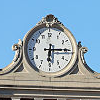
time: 6:14
